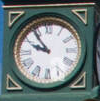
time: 9:54
